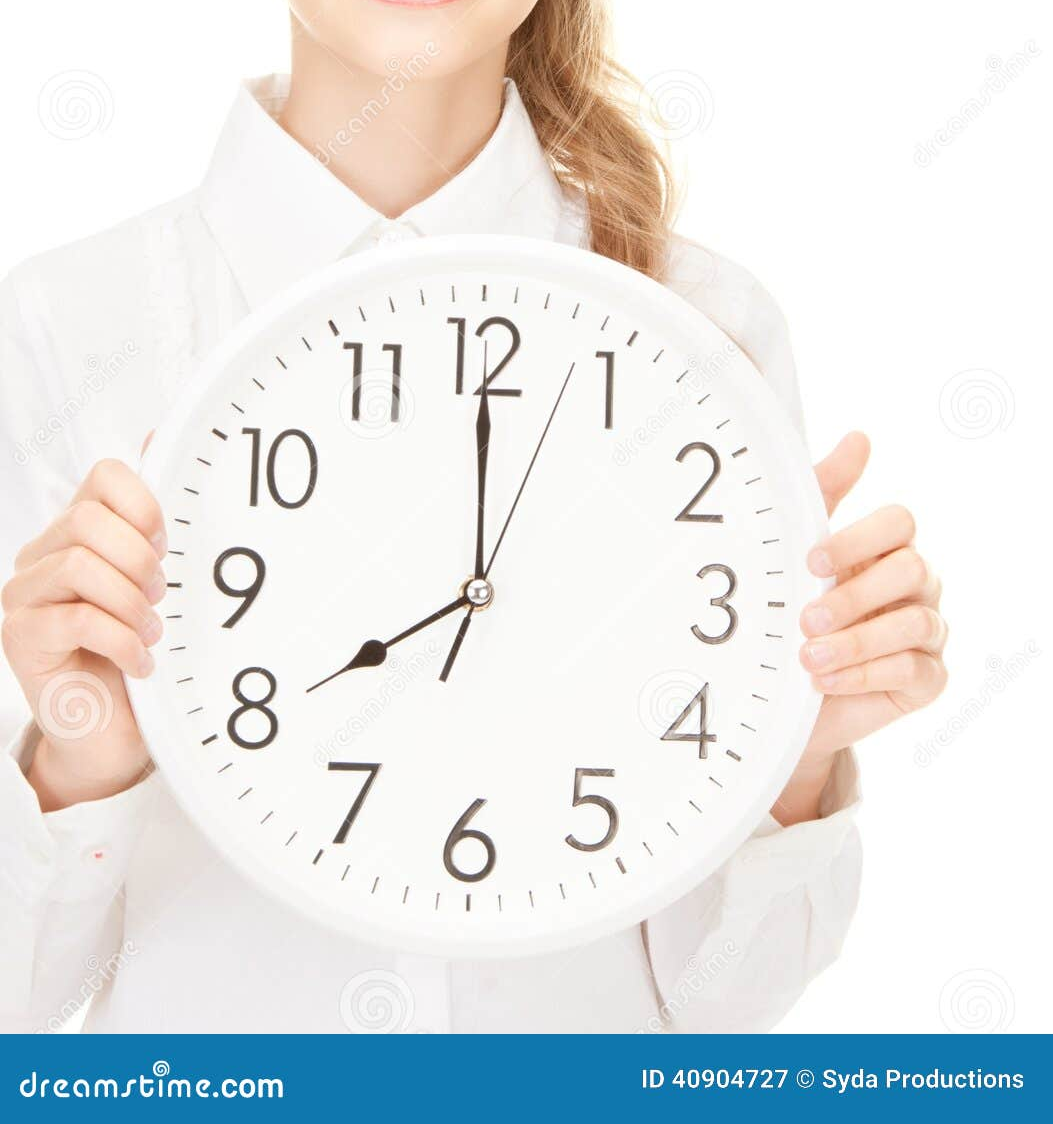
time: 7:59
